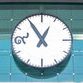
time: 12:54
